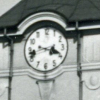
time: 3:42
